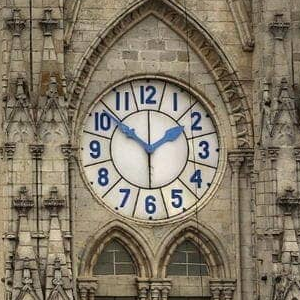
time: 1:51
